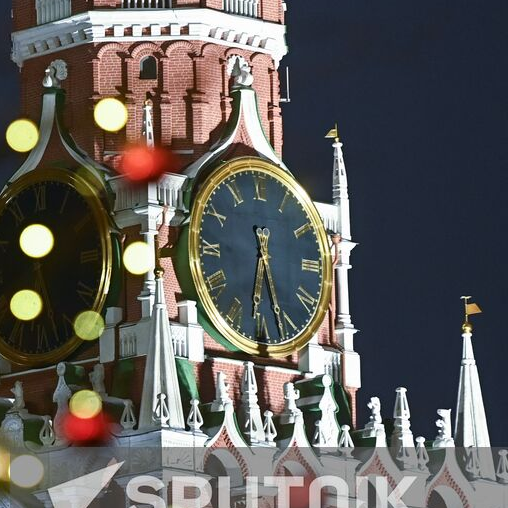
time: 5:31
